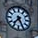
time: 7:25
